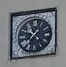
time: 10:36
